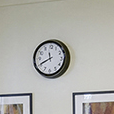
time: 11:40
